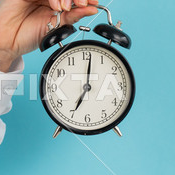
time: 7:01
